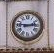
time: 2:46
